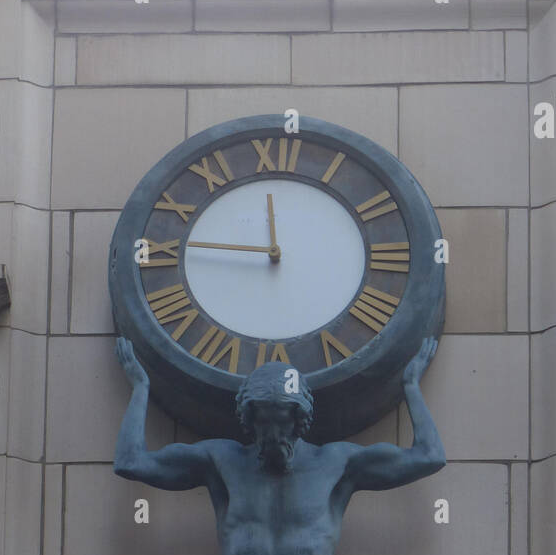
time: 11:46
